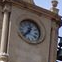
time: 12:37
